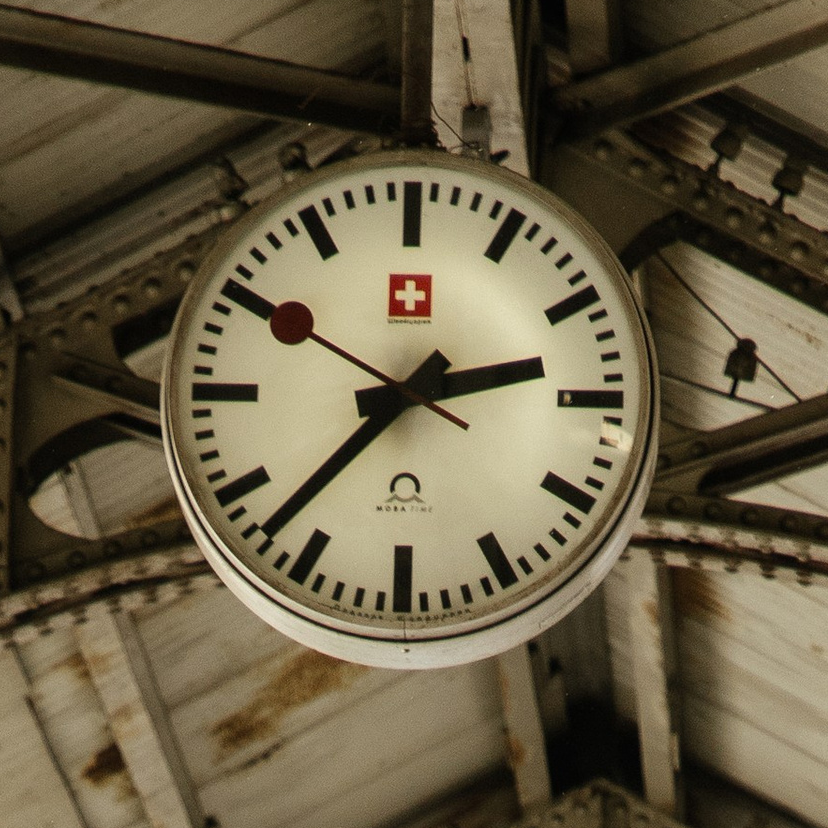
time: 2:37
